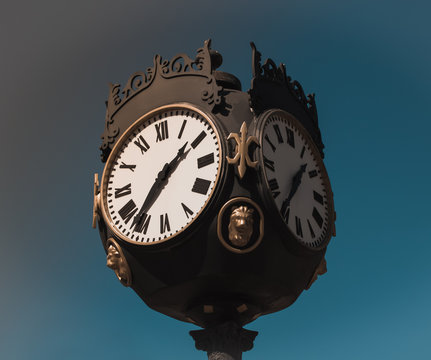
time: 1:36
